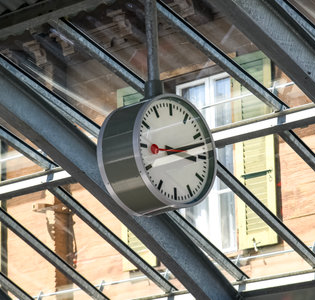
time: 3:12
